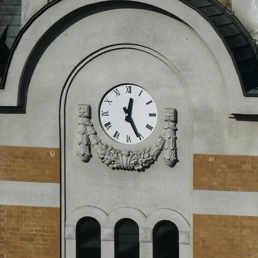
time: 12:25
